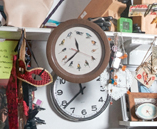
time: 11:37
